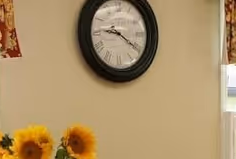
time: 9:20
